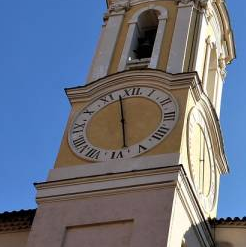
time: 11:28
